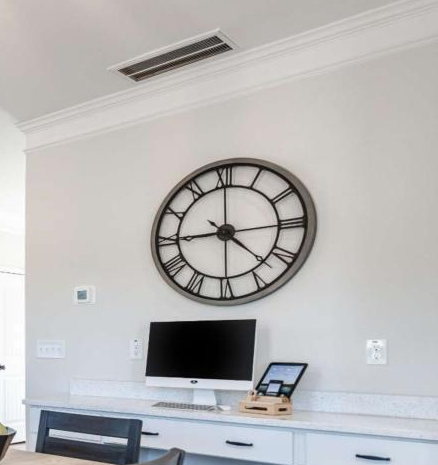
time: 4:44
